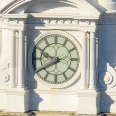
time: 9:40
